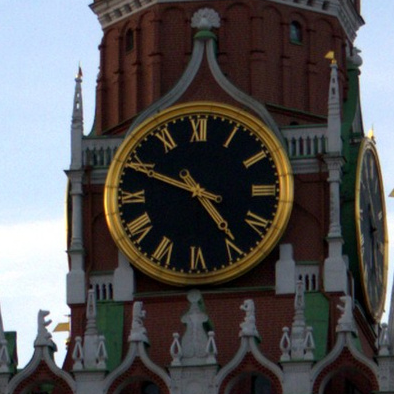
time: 4:49
